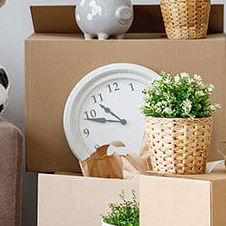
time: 10:48
